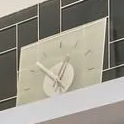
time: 12:52
